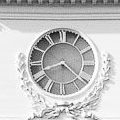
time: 8:21
